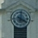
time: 4:01
